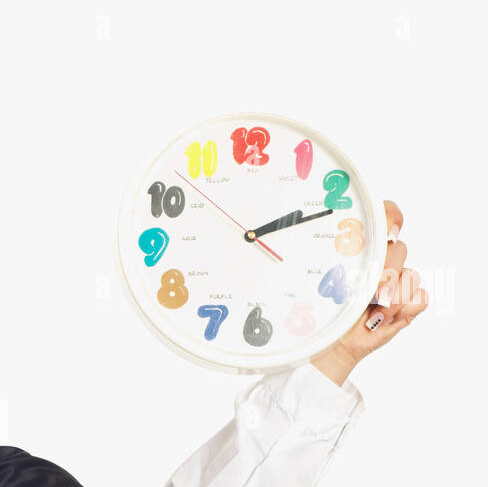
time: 2:11
